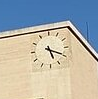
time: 5:19
